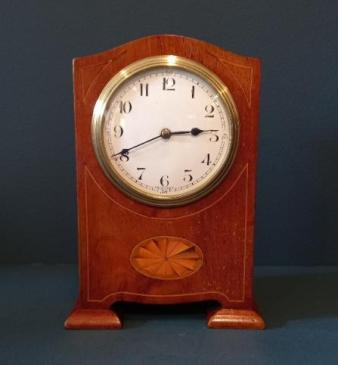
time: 2:40
